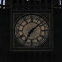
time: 7:08
